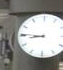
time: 8:45
